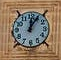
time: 12:05
